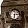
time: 6:15
